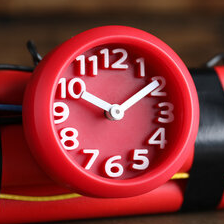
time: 10:09
